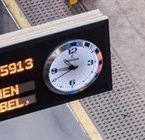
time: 10:45
